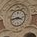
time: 3:43
